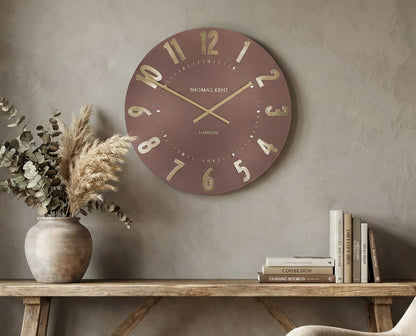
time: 1:50
